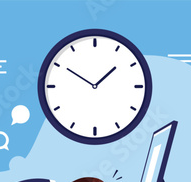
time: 1:50
